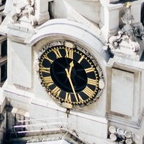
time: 12:26
